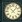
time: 10:07
